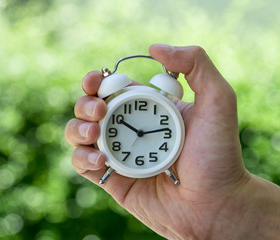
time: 10:13
